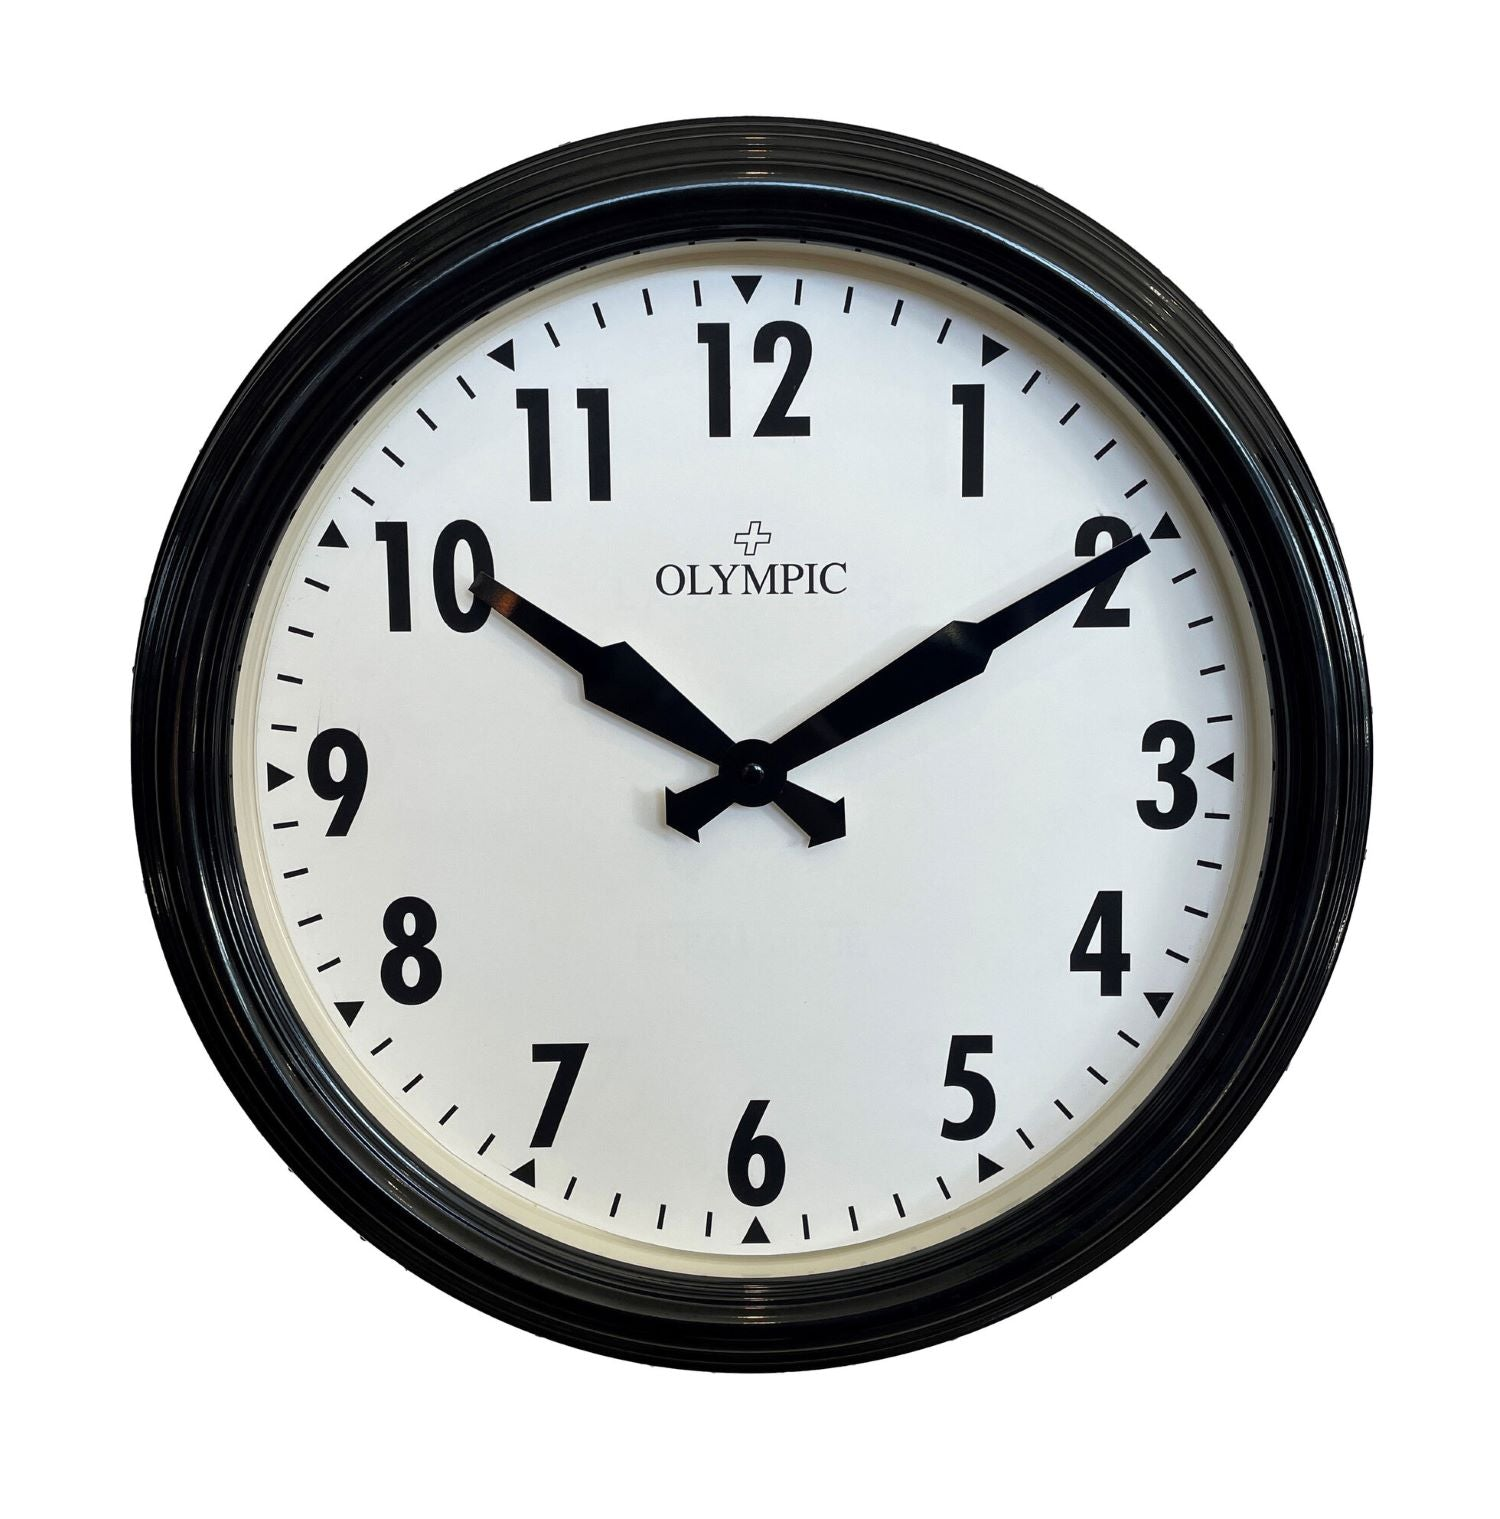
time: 10:09
